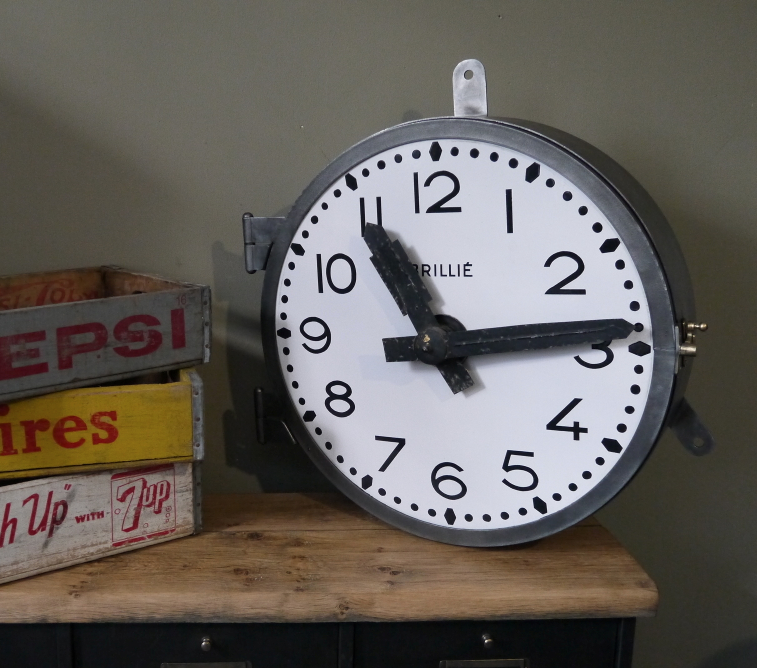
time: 11:13
